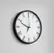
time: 6:48
